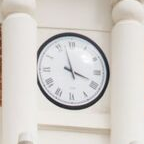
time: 3:57
